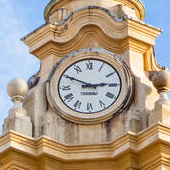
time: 2:49
